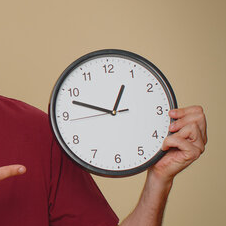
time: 12:47
